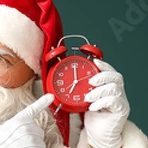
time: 7:00
